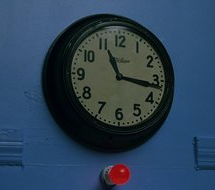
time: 11:16
